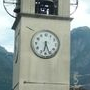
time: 6:26
